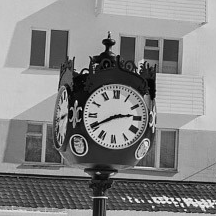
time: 2:40
